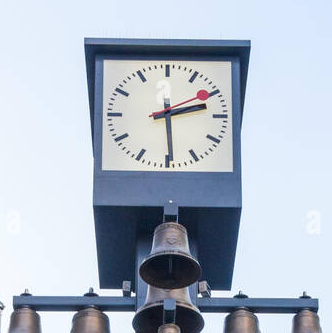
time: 2:29
